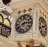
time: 8:14
